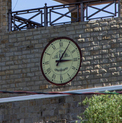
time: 3:05
